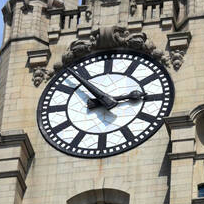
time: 2:52
